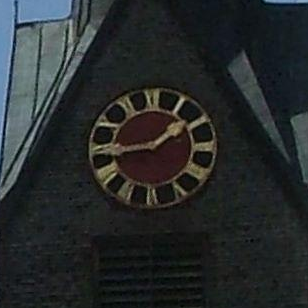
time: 1:43
